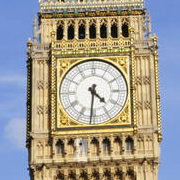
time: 4:31
